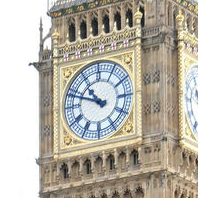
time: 10:48
